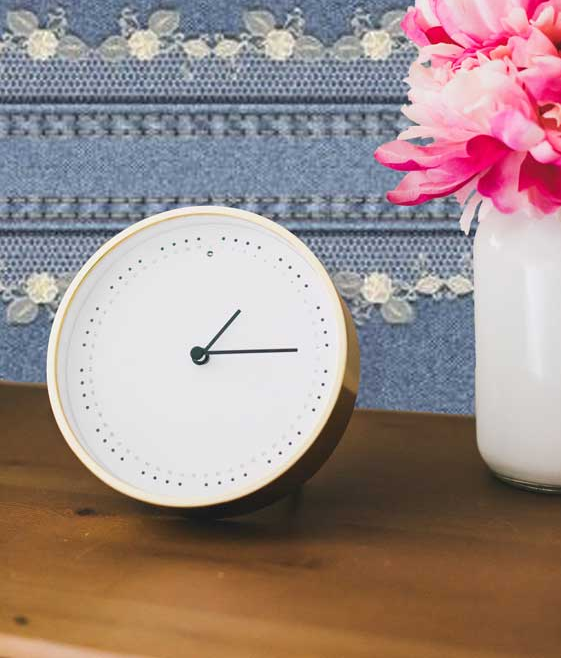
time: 1:14
